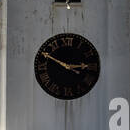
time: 2:49
